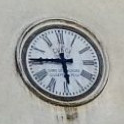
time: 5:45
